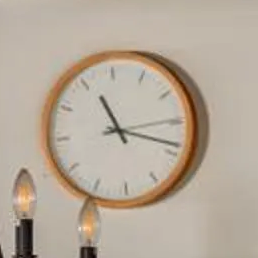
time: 11:18
